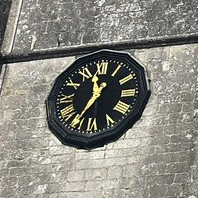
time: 11:34
